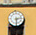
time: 2:29
